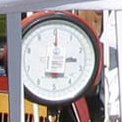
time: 3:00
